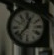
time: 12:37
